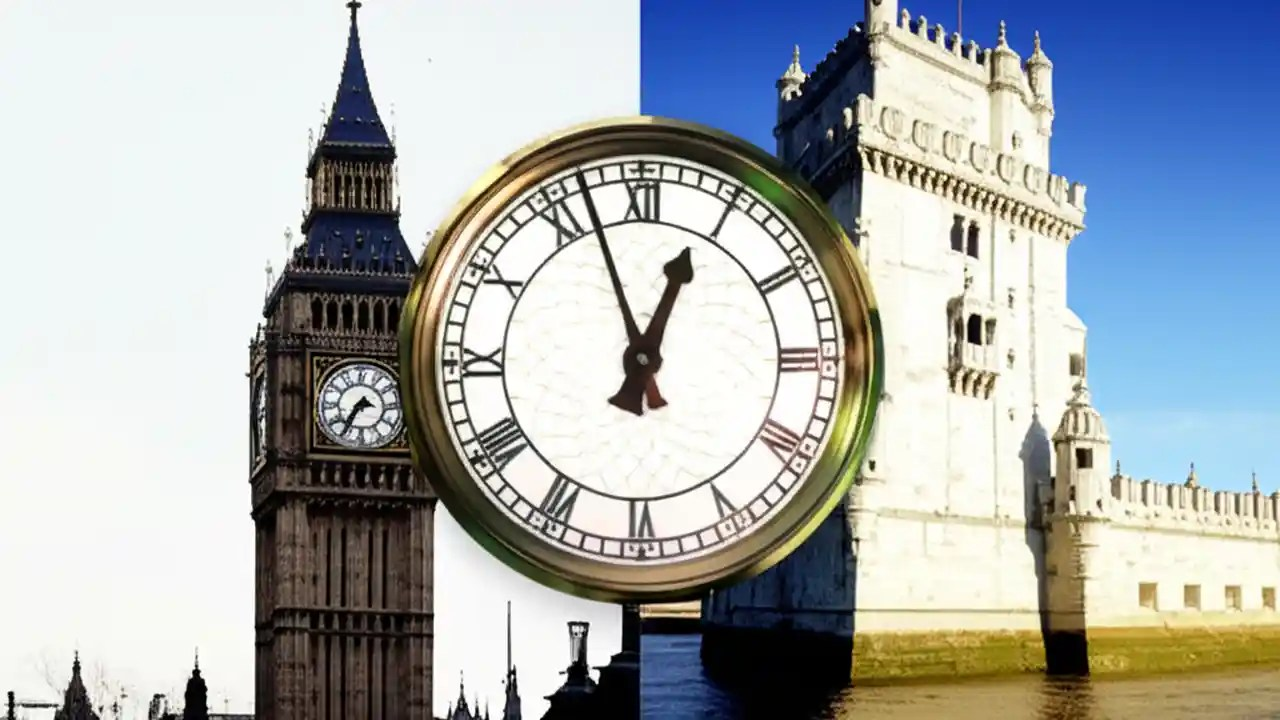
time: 12:57
